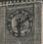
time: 6:10
